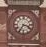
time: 3:35
